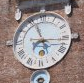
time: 6:56
